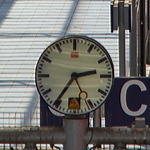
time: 2:35
